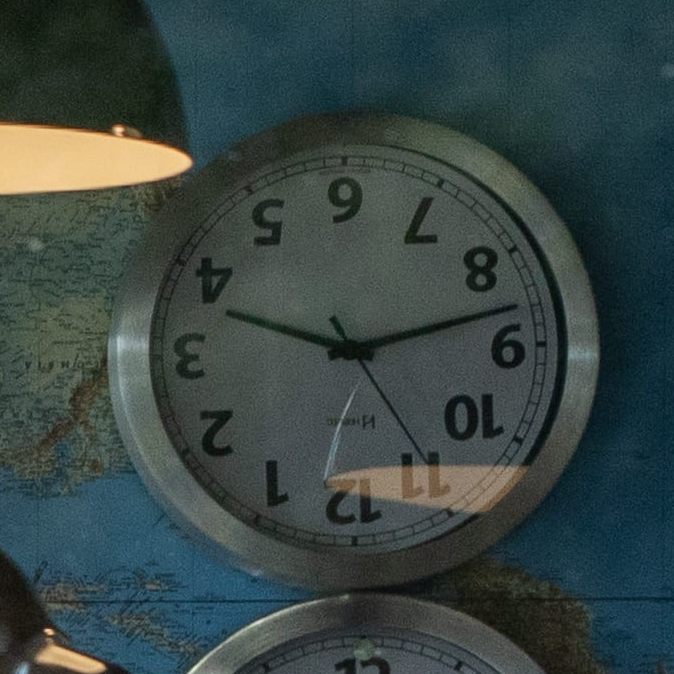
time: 9:12
